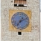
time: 7:11
